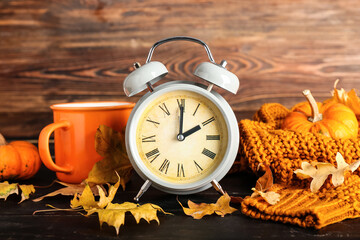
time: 2:00
